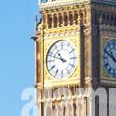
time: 10:48
